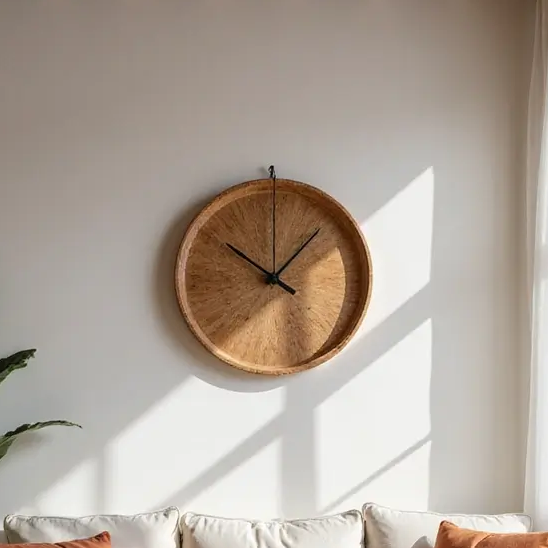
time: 10:07
